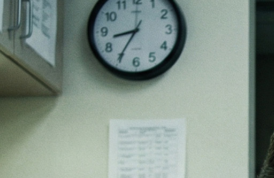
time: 8:35
